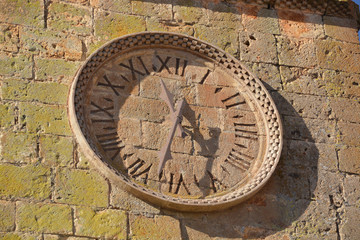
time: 4:32
